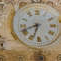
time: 6:41
